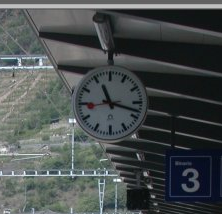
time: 11:17
